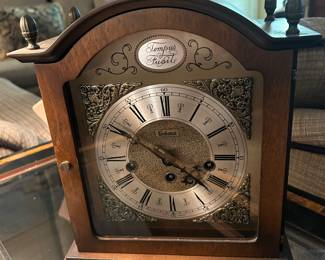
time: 3:50
